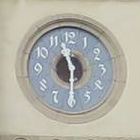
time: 11:30
